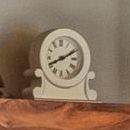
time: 8:10
